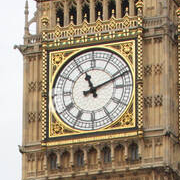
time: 11:11
